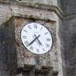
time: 4:37
